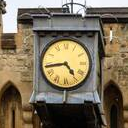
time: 4:43
